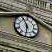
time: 5:55
